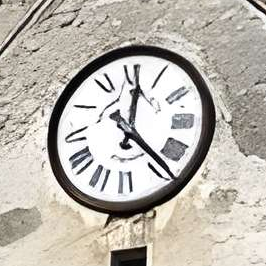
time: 12:22
